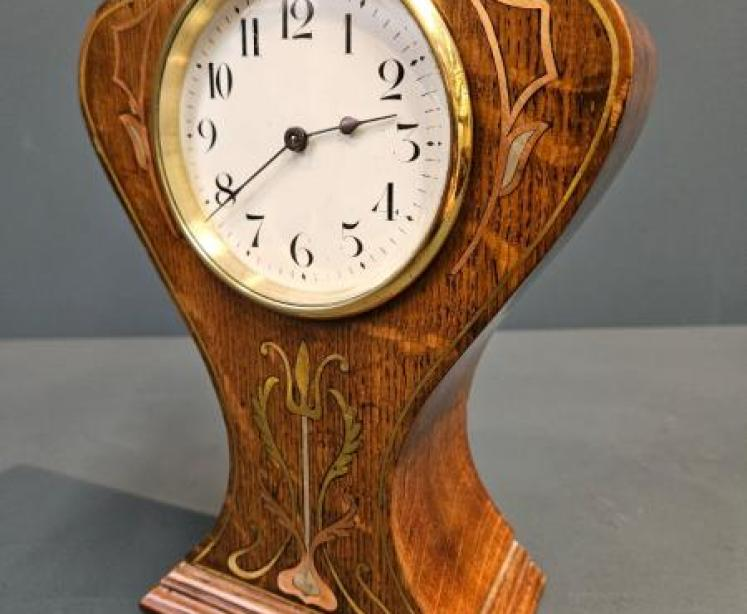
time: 2:39
